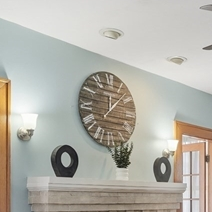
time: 12:07
